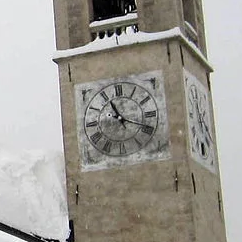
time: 11:18
